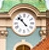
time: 10:52
